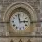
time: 2:58
